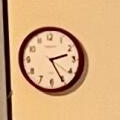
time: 2:25
